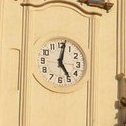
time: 5:01
